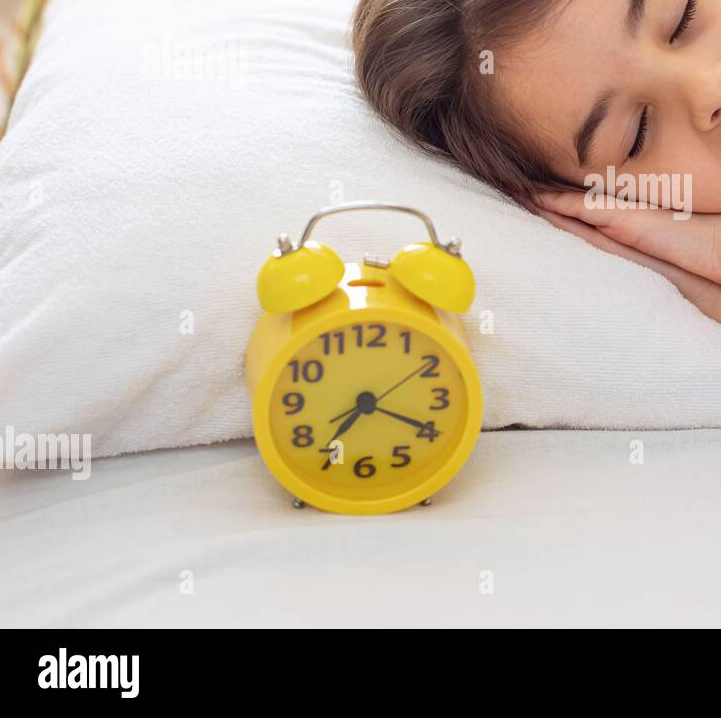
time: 7:19
